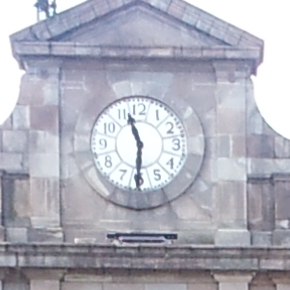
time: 11:30
